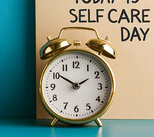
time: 1:50
